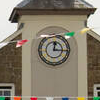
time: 12:15
